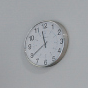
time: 11:39
